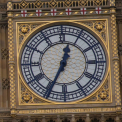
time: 12:34
